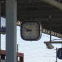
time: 8:48
